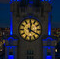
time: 4:01
